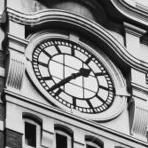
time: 1:36
